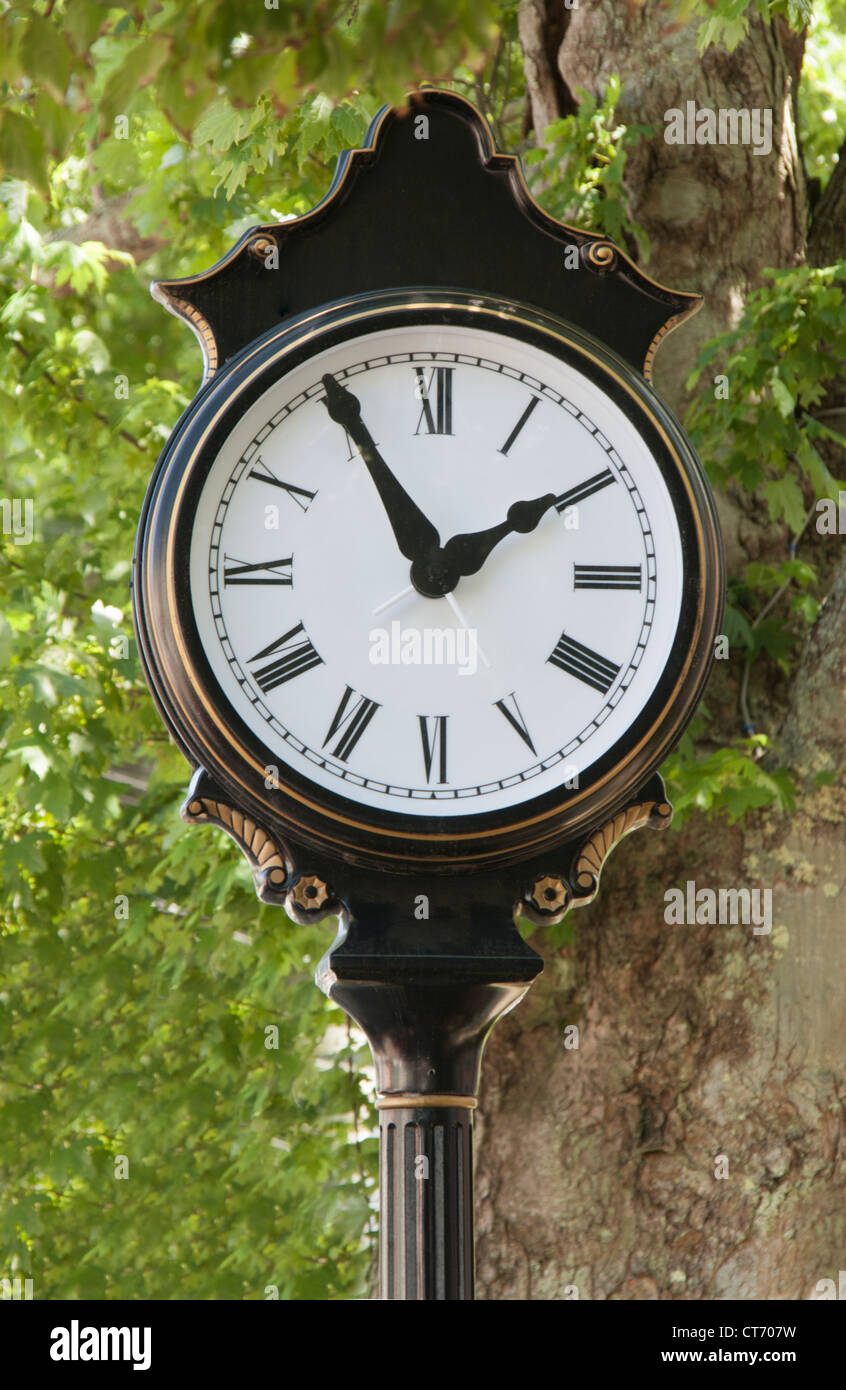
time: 1:55
